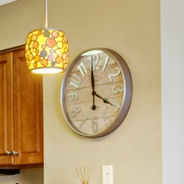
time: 3:59
